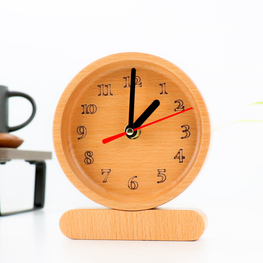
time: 1:00
